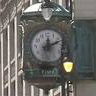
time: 12:11
